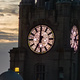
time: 6:59
